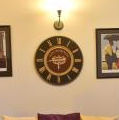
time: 8:43
